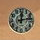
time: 12:13
